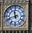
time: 11:41
